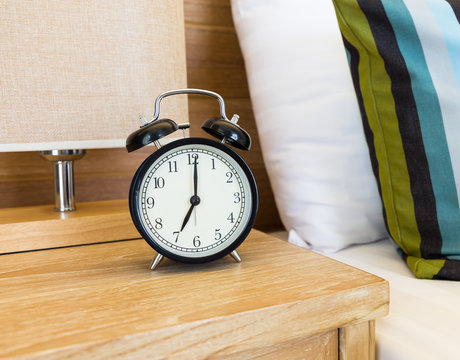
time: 7:00
